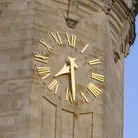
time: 7:29
